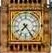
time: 7:24
